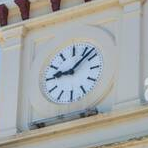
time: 9:07
